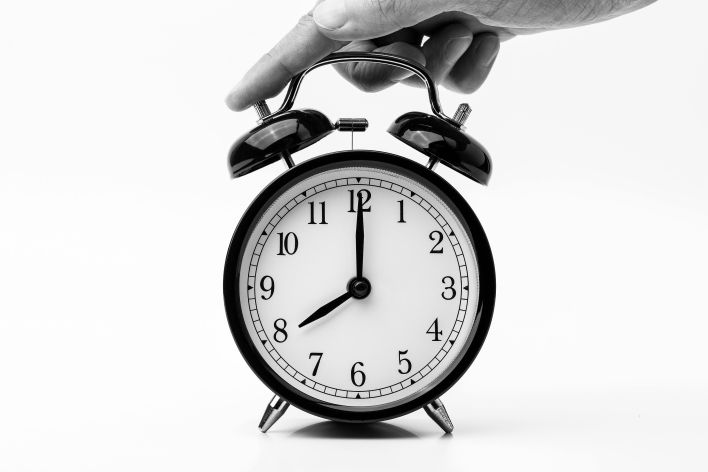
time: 8:00
